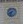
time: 8:32
